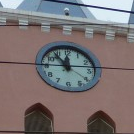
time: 11:53
